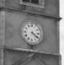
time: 4:21
